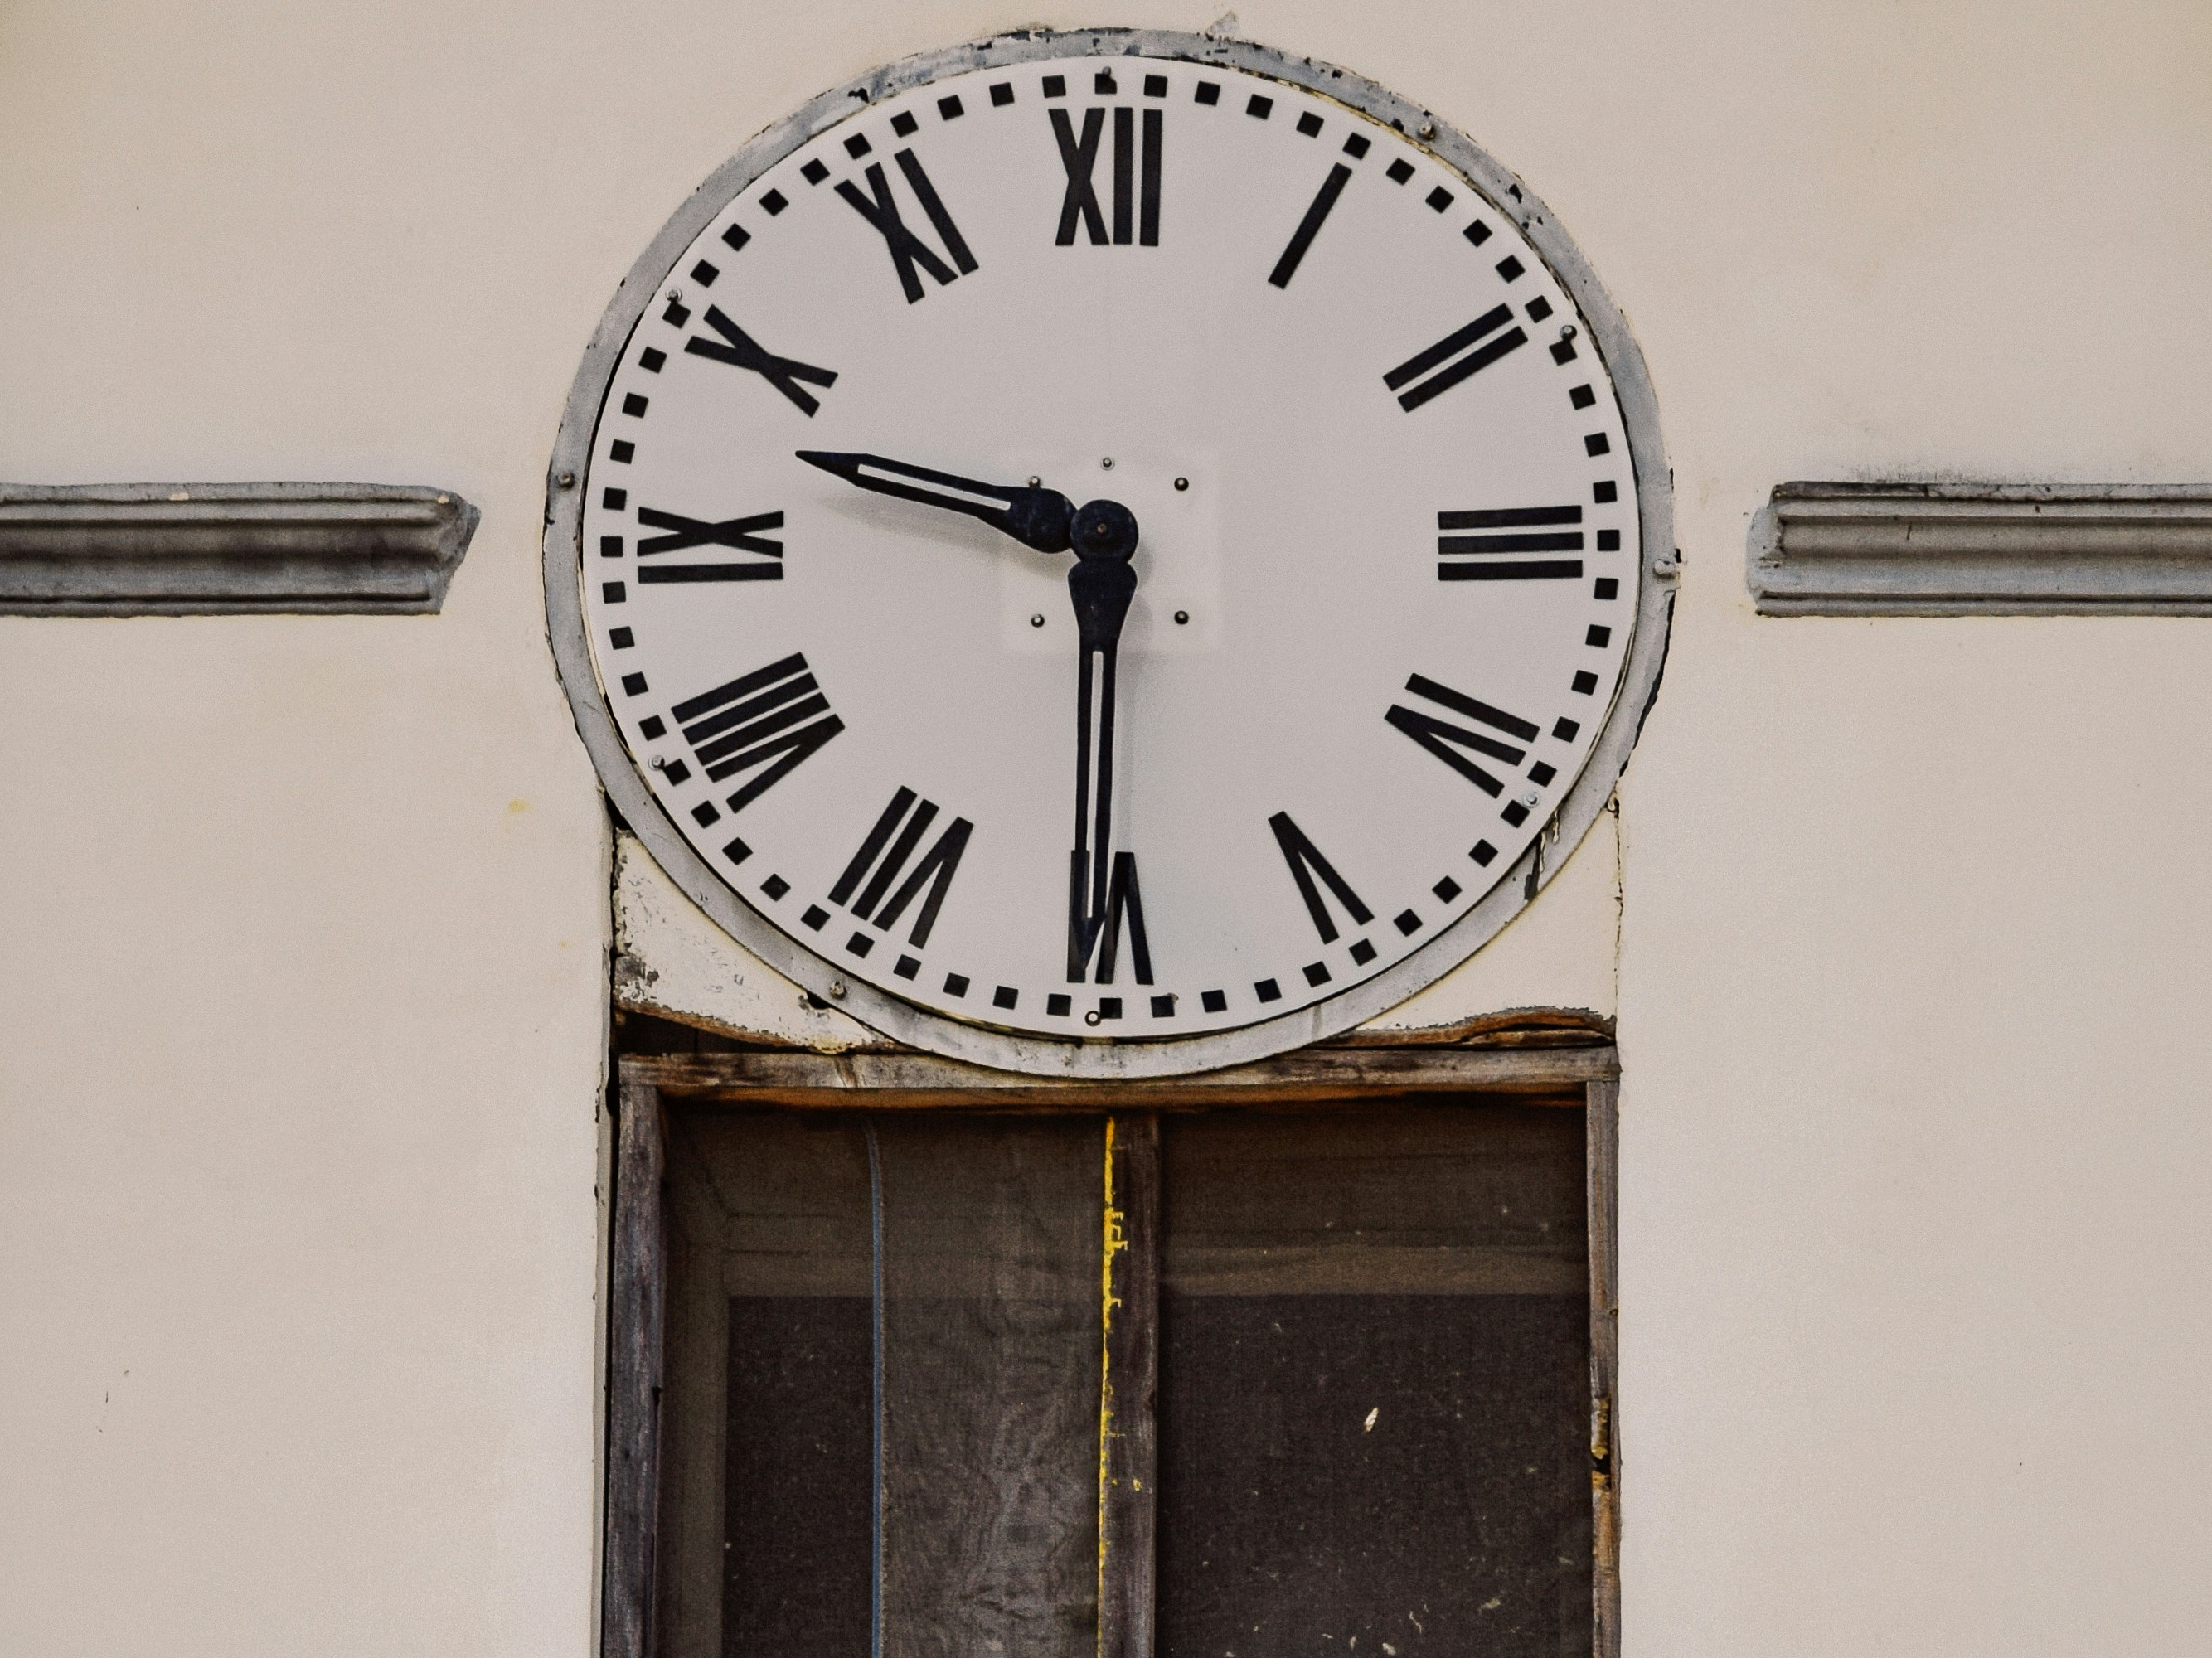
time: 9:30
